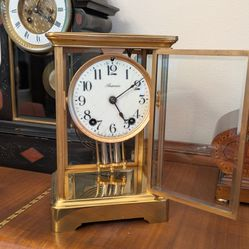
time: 5:09
